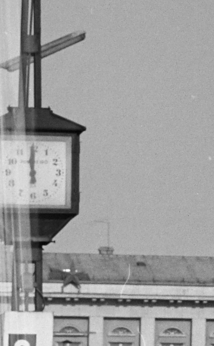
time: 5:59
